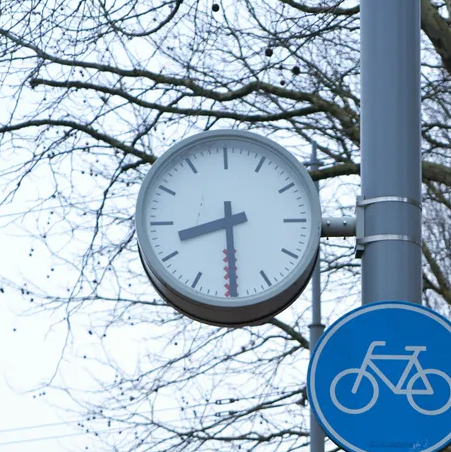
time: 8:29
